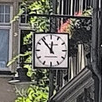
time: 11:53
